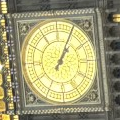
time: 1:04
